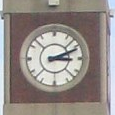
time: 3:11
